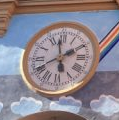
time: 1:58
